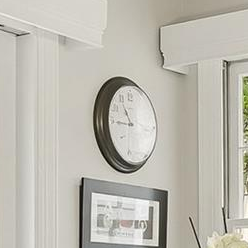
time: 10:45
